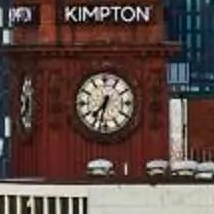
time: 7:32
